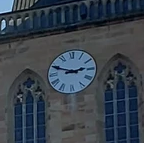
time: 2:48
